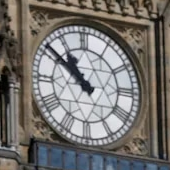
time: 10:51
